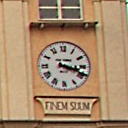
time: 3:18
